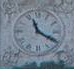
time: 11:20
